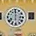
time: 6:00
